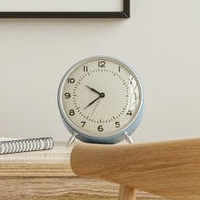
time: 7:50
